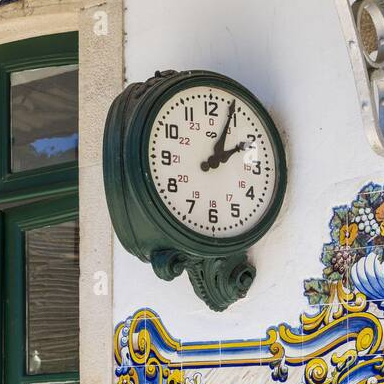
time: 2:03
